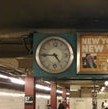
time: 4:44
